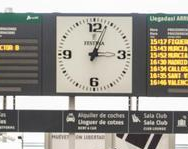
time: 3:03
